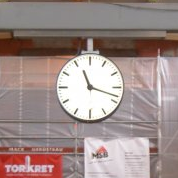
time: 11:18
